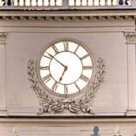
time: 6:51
